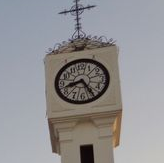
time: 8:25
